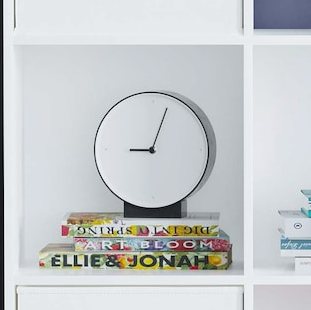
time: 9:03
